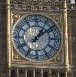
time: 1:08
